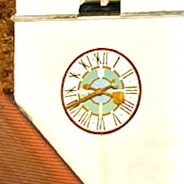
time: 3:40
